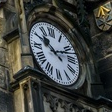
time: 10:12
